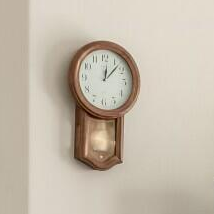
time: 12:07
